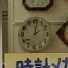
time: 2:01
